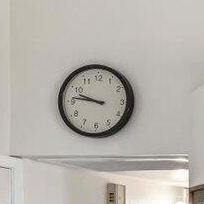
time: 9:46
